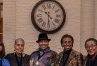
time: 10:29
